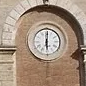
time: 6:00
